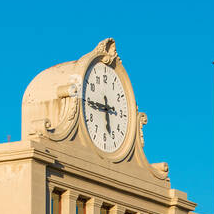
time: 5:44
